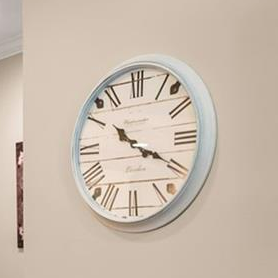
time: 10:19
